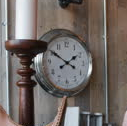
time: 1:50
